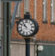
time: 10:50
